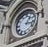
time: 1:16
